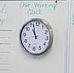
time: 10:57
